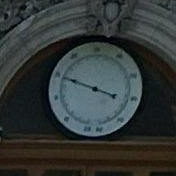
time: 3:49
